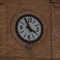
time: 3:55
